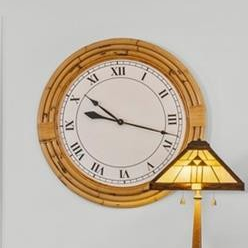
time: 10:18
